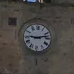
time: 9:12
